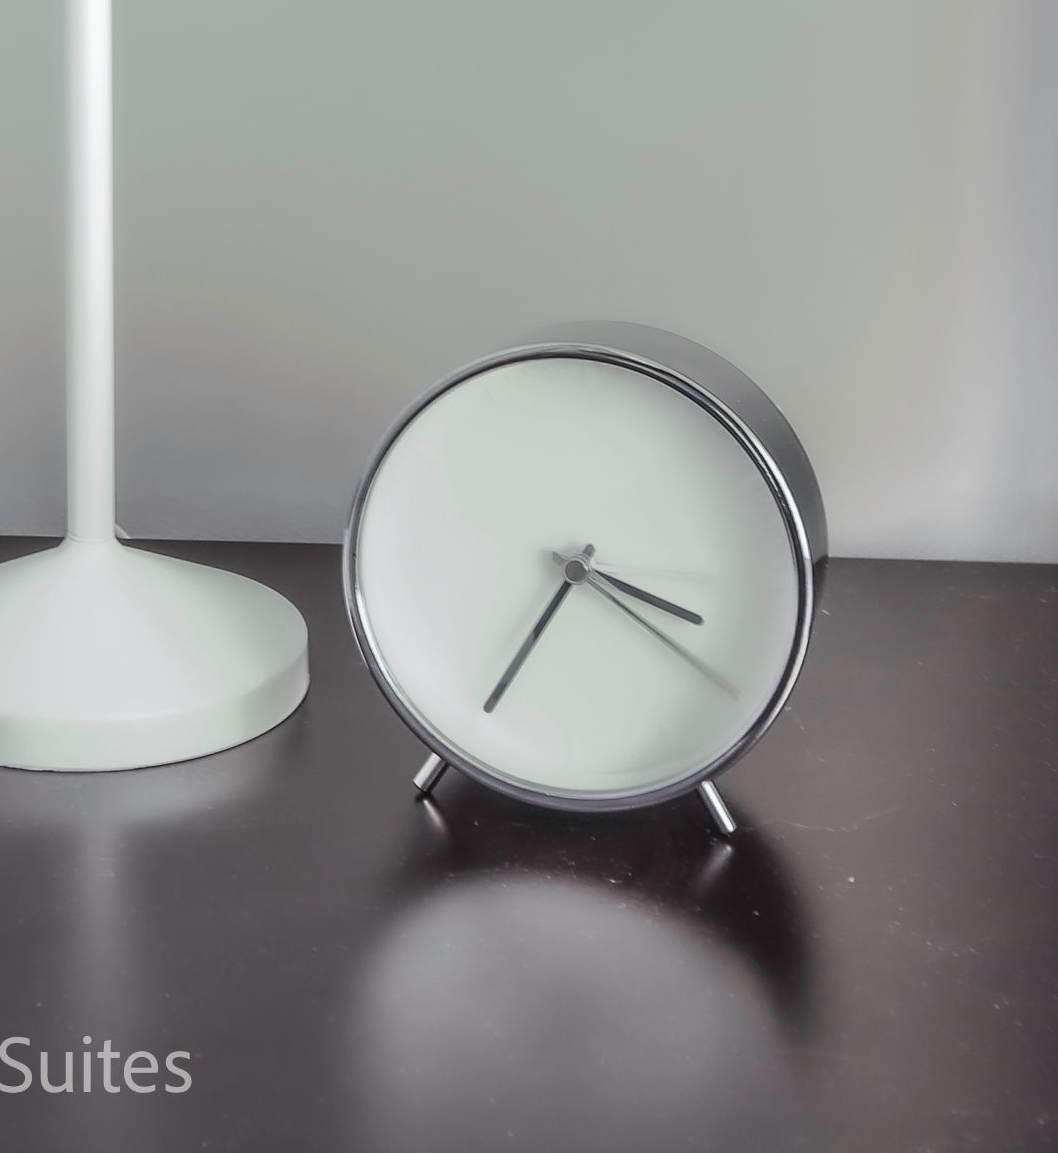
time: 3:34
